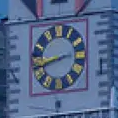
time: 2:42
